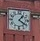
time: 1:21
